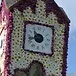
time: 10:42
